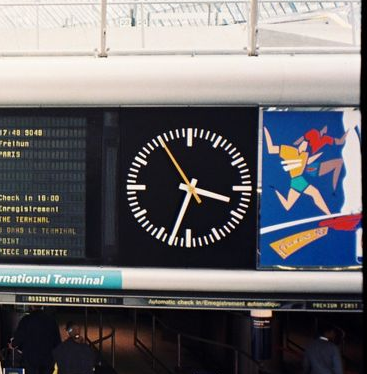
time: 3:33
